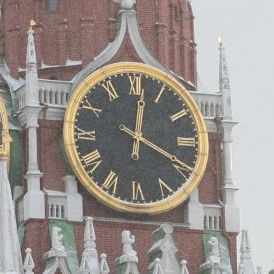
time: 12:19
